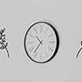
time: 10:36
